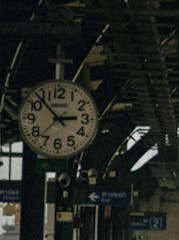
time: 2:53
